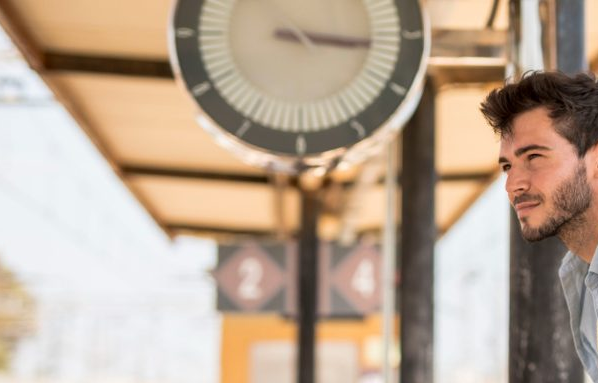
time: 3:16
